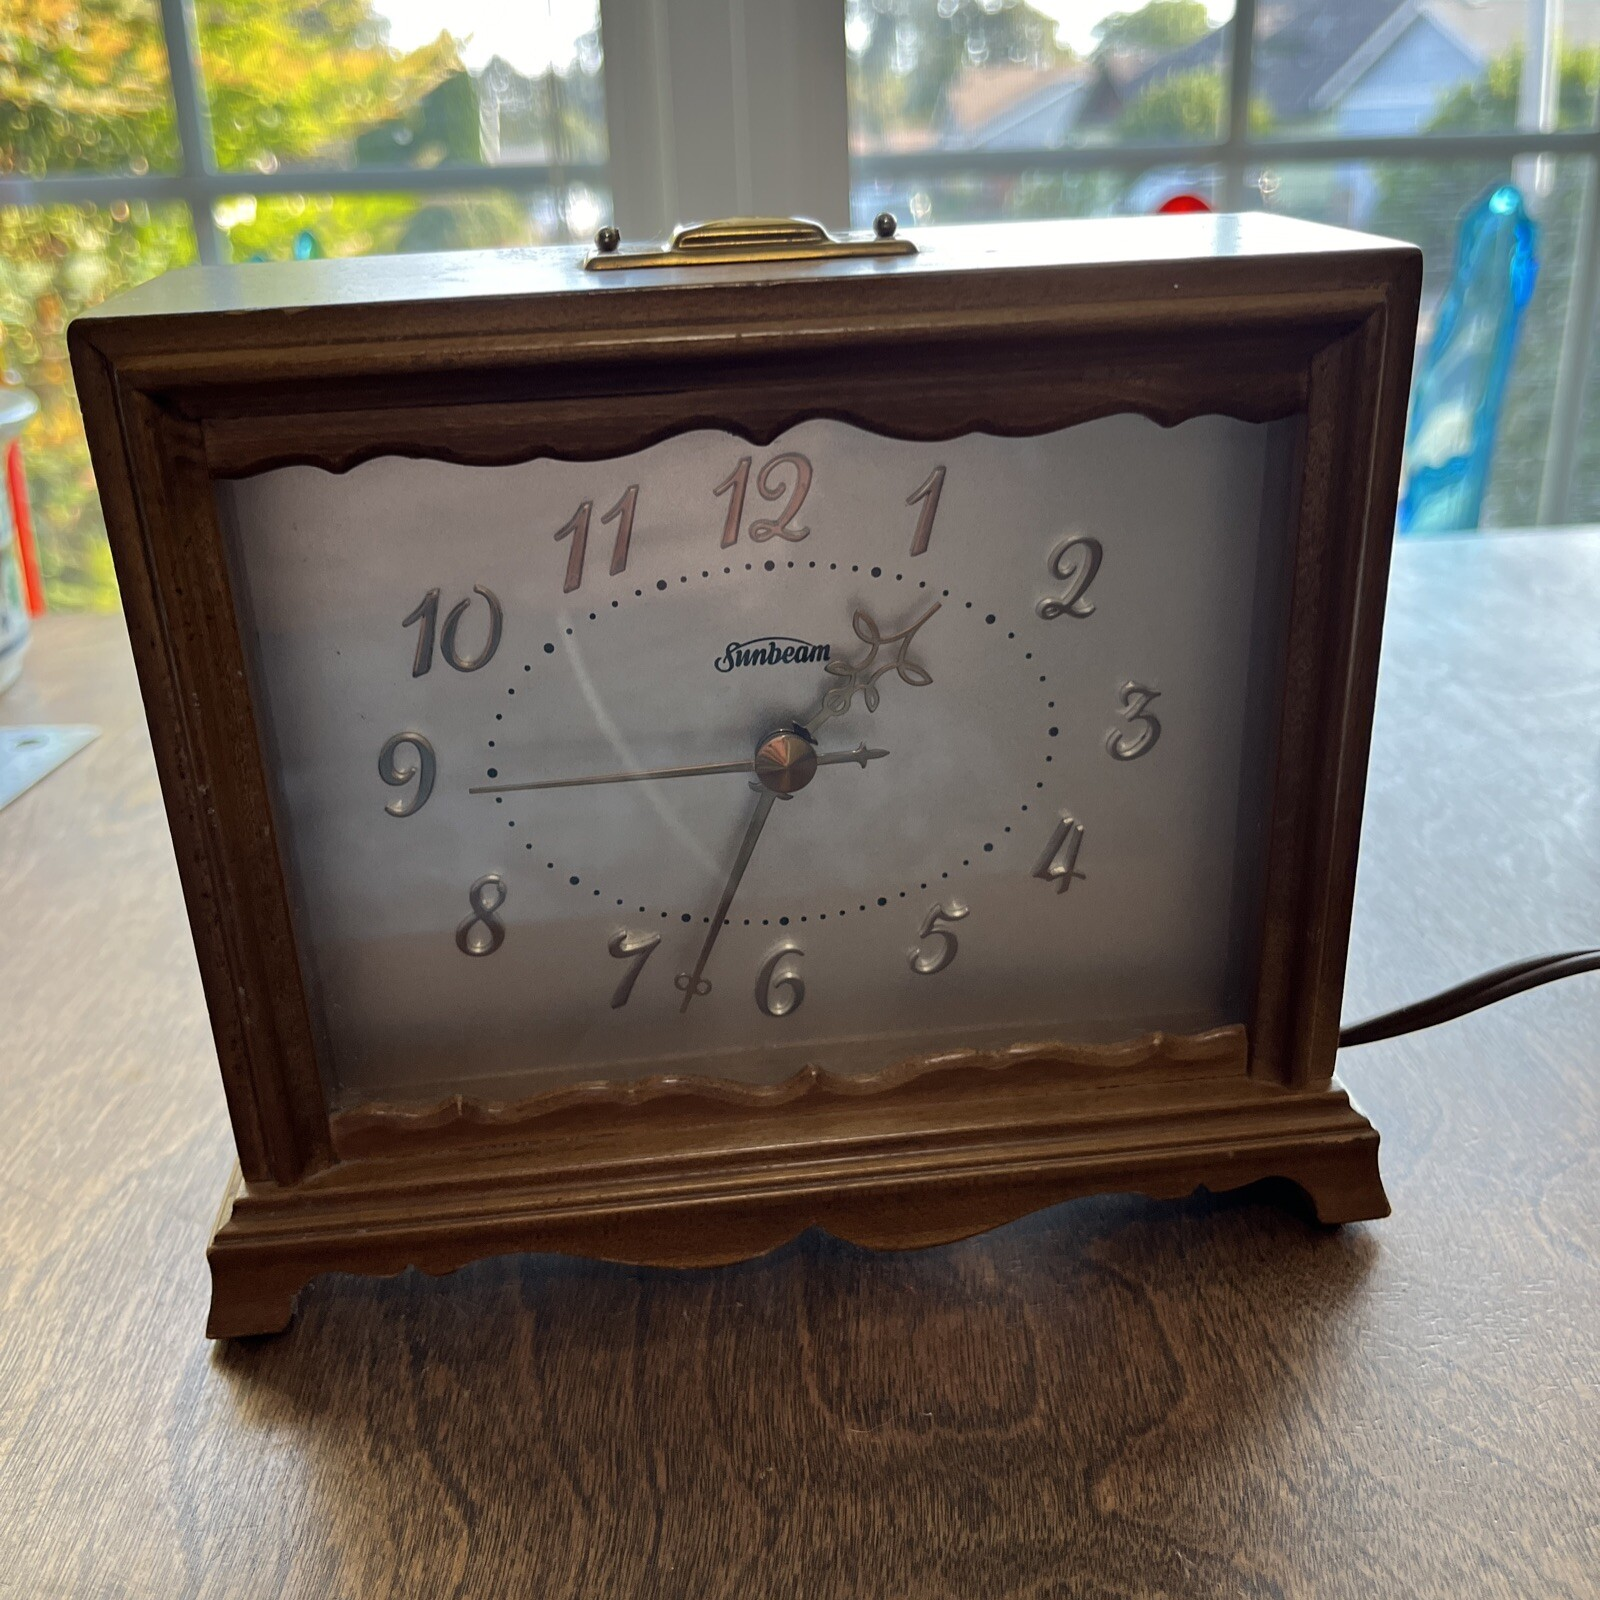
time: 1:33
